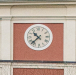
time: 10:37
